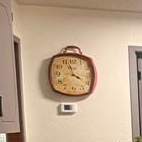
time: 3:57
